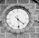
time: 4:28
